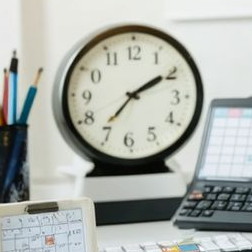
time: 7:09
